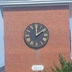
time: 12:07
